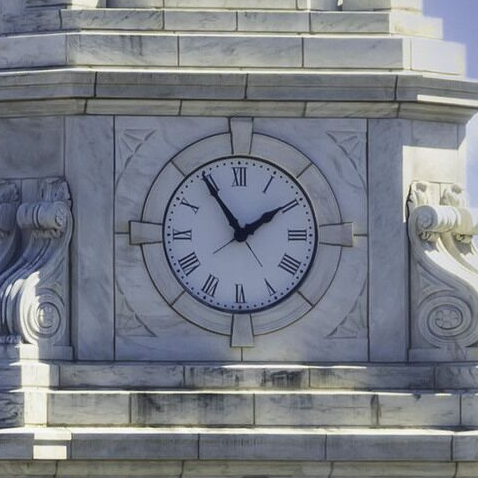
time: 1:54
